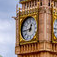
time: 12:44
